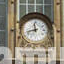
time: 11:42
